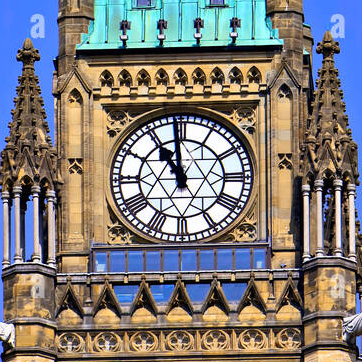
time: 10:58
